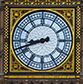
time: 8:41
